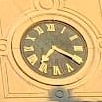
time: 7:20
